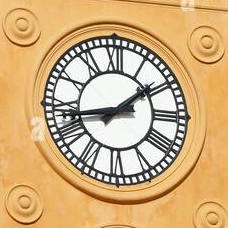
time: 1:43
